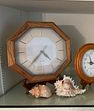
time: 4:36
